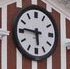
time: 5:45
